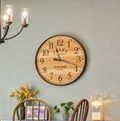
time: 11:18
